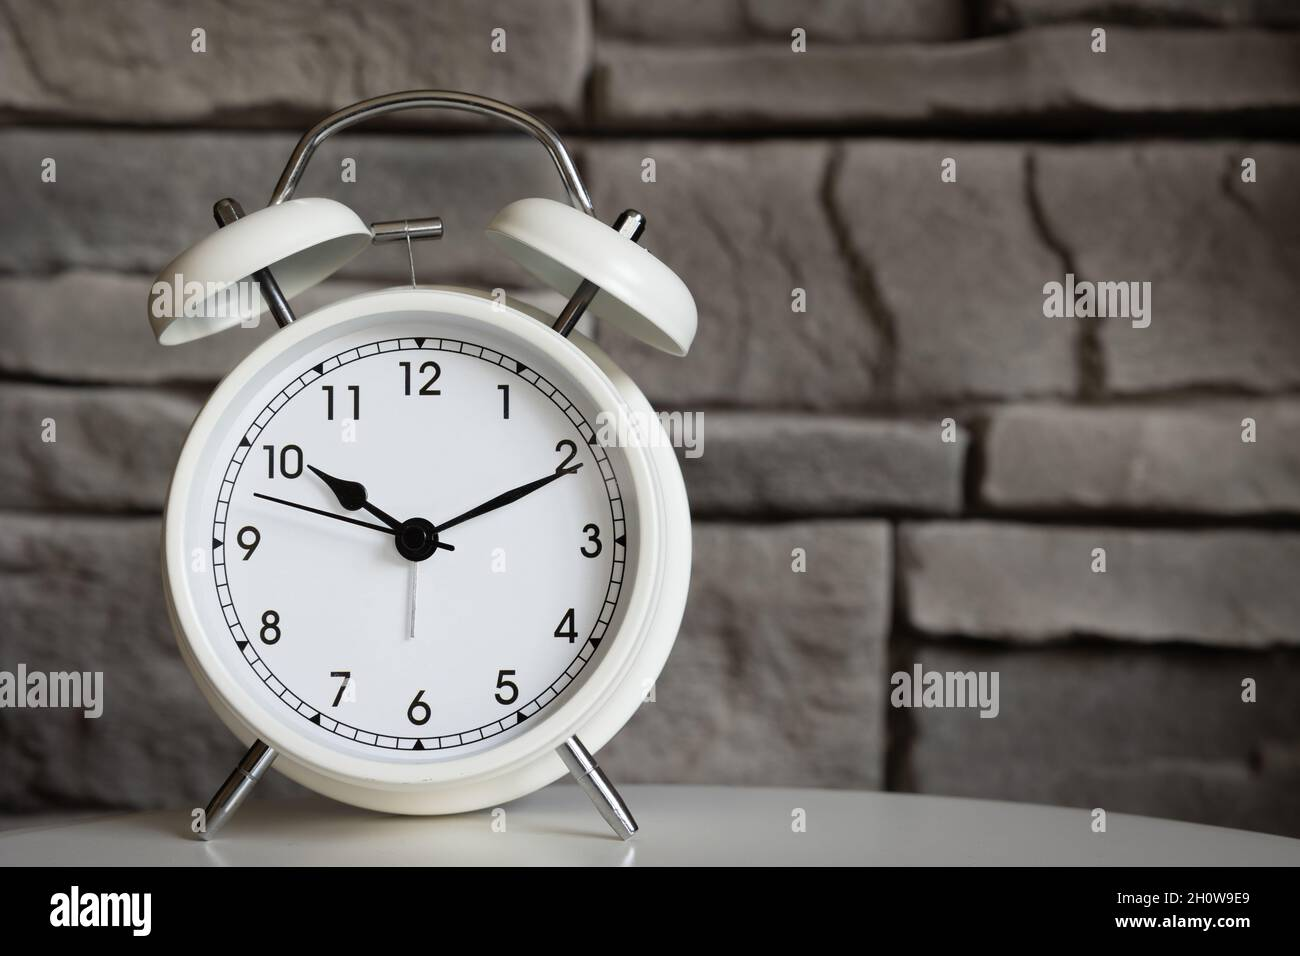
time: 10:10
